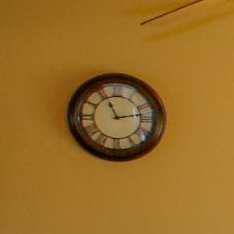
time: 11:13
